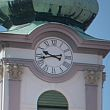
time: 9:42
